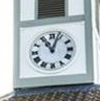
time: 11:03
